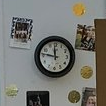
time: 11:46
